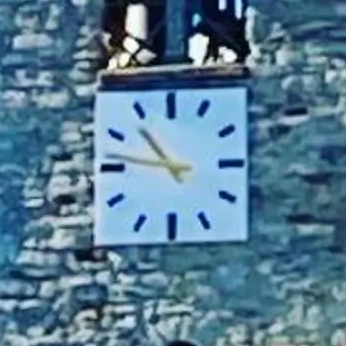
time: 10:46
